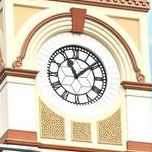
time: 11:08
